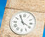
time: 3:55
